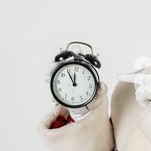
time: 11:54
